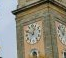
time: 12:49
